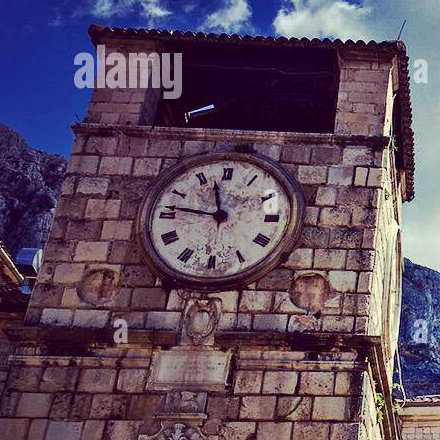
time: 11:46
